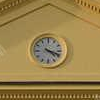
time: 4:18
